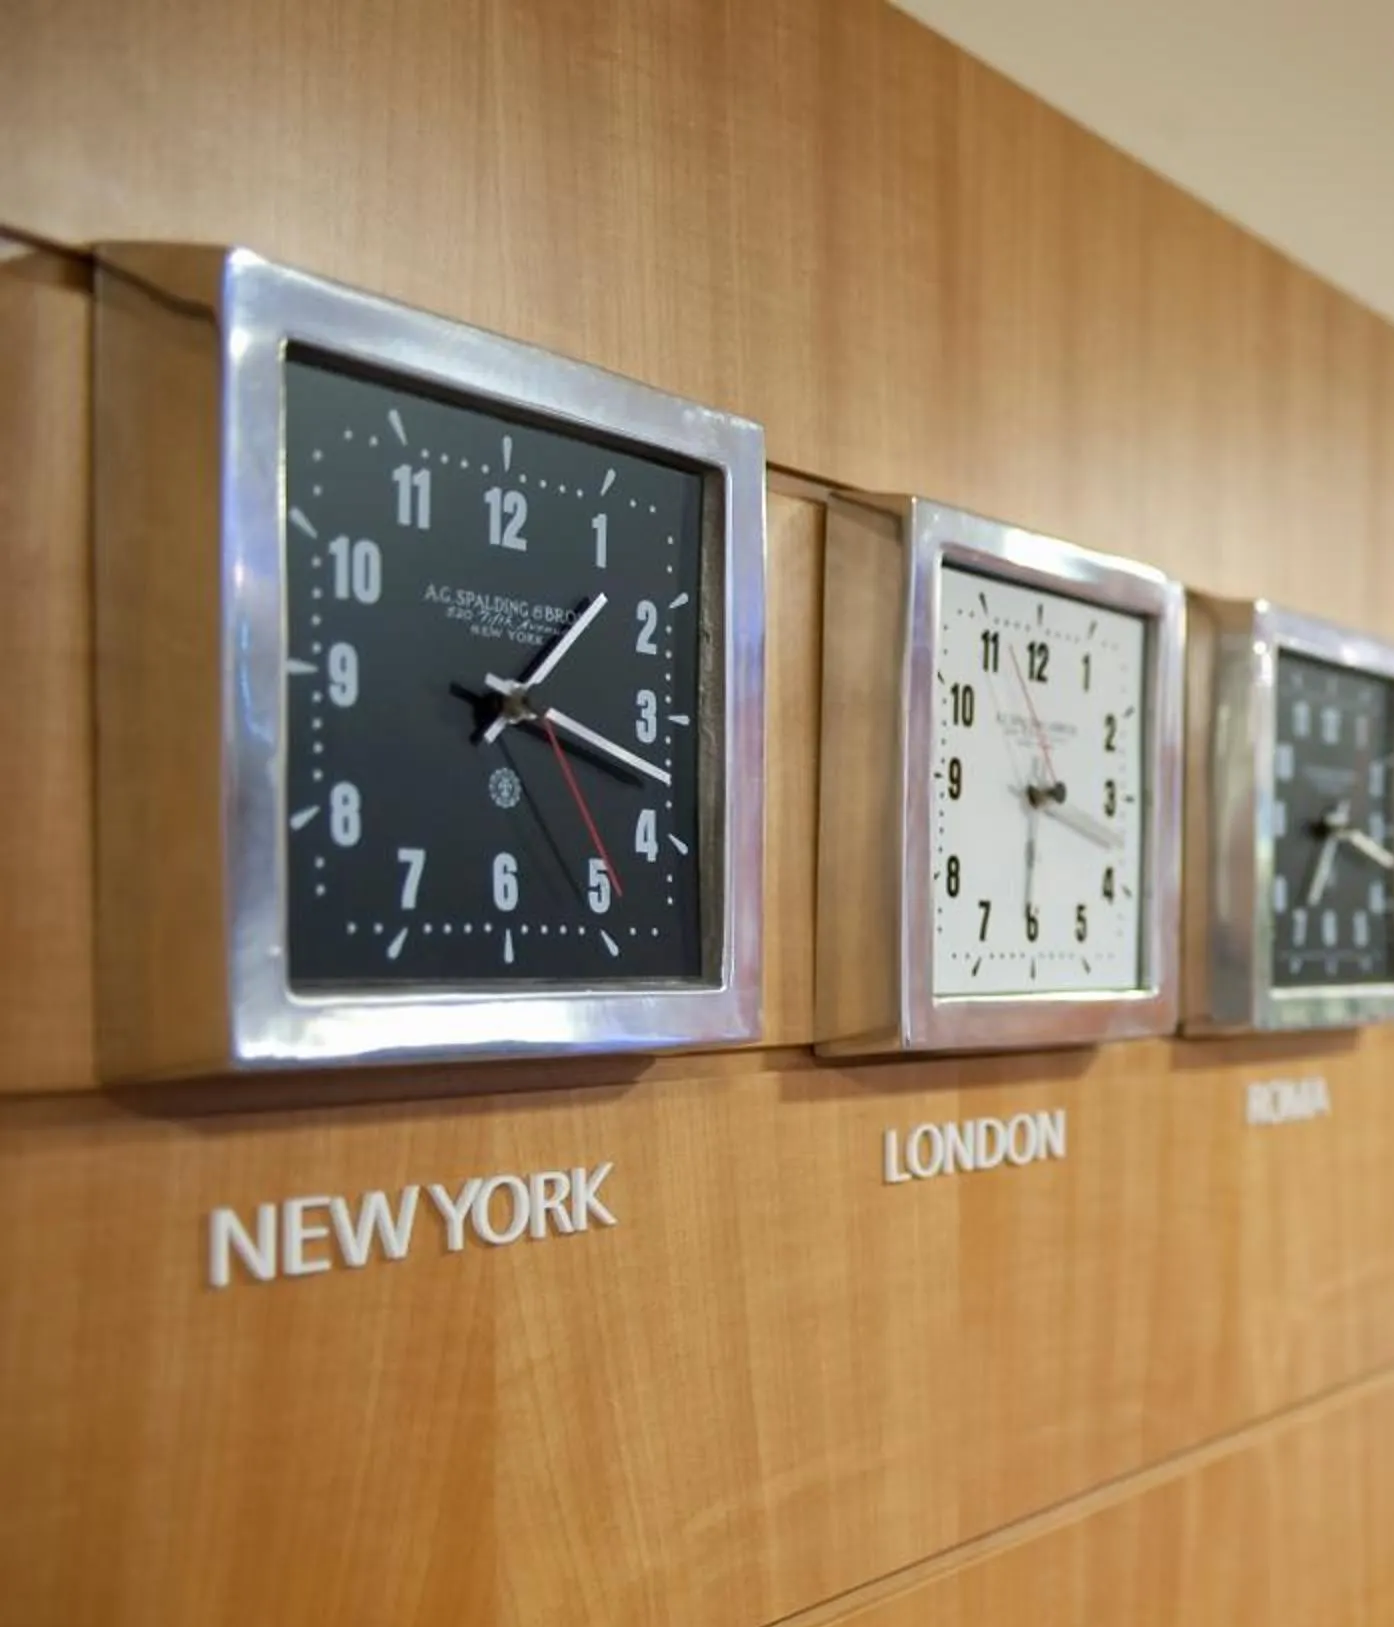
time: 1:18
